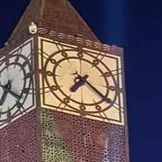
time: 7:21
